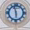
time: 5:57
